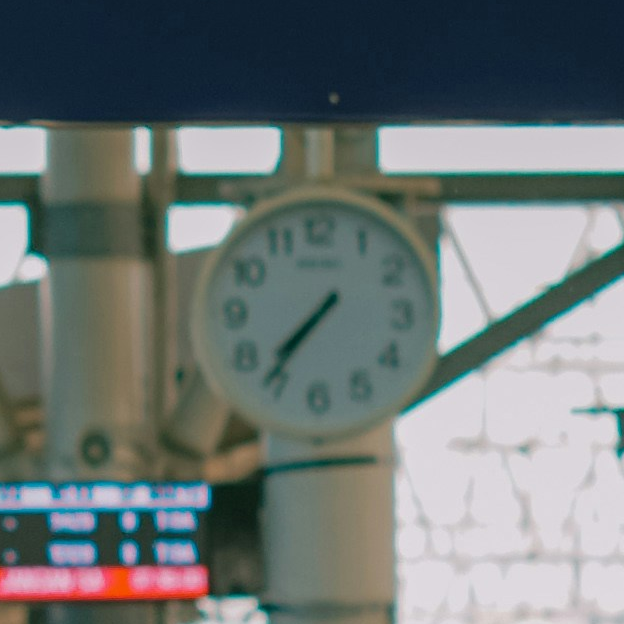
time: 7:36
